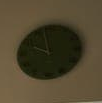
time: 9:57
